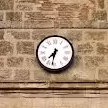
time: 7:31
